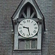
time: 9:27
